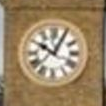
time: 10:04
